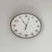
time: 11:02
